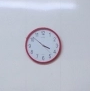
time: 3:51
